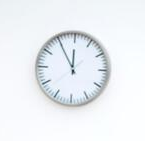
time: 11:54
